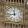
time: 11:42
